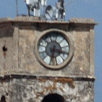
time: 3:32
